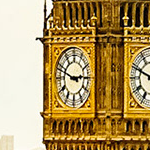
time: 2:48
